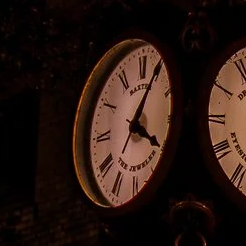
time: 4:04
